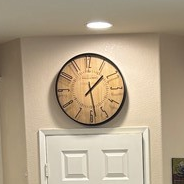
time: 1:28
